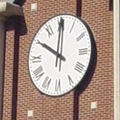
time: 10:00
